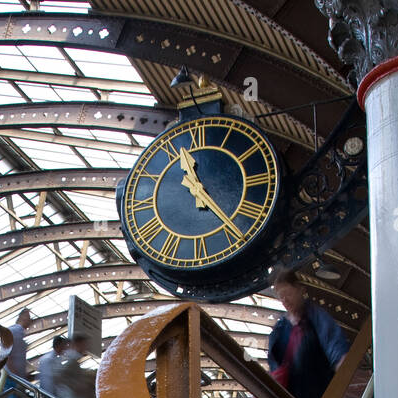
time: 11:23
